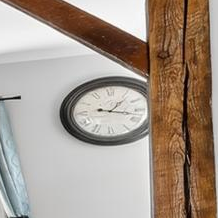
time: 1:17
